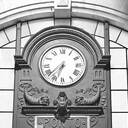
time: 6:38
